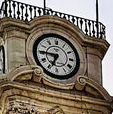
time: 6:45
